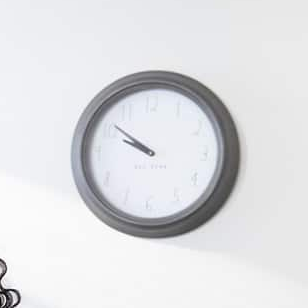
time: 9:51
